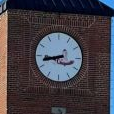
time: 8:42
